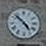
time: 4:52
